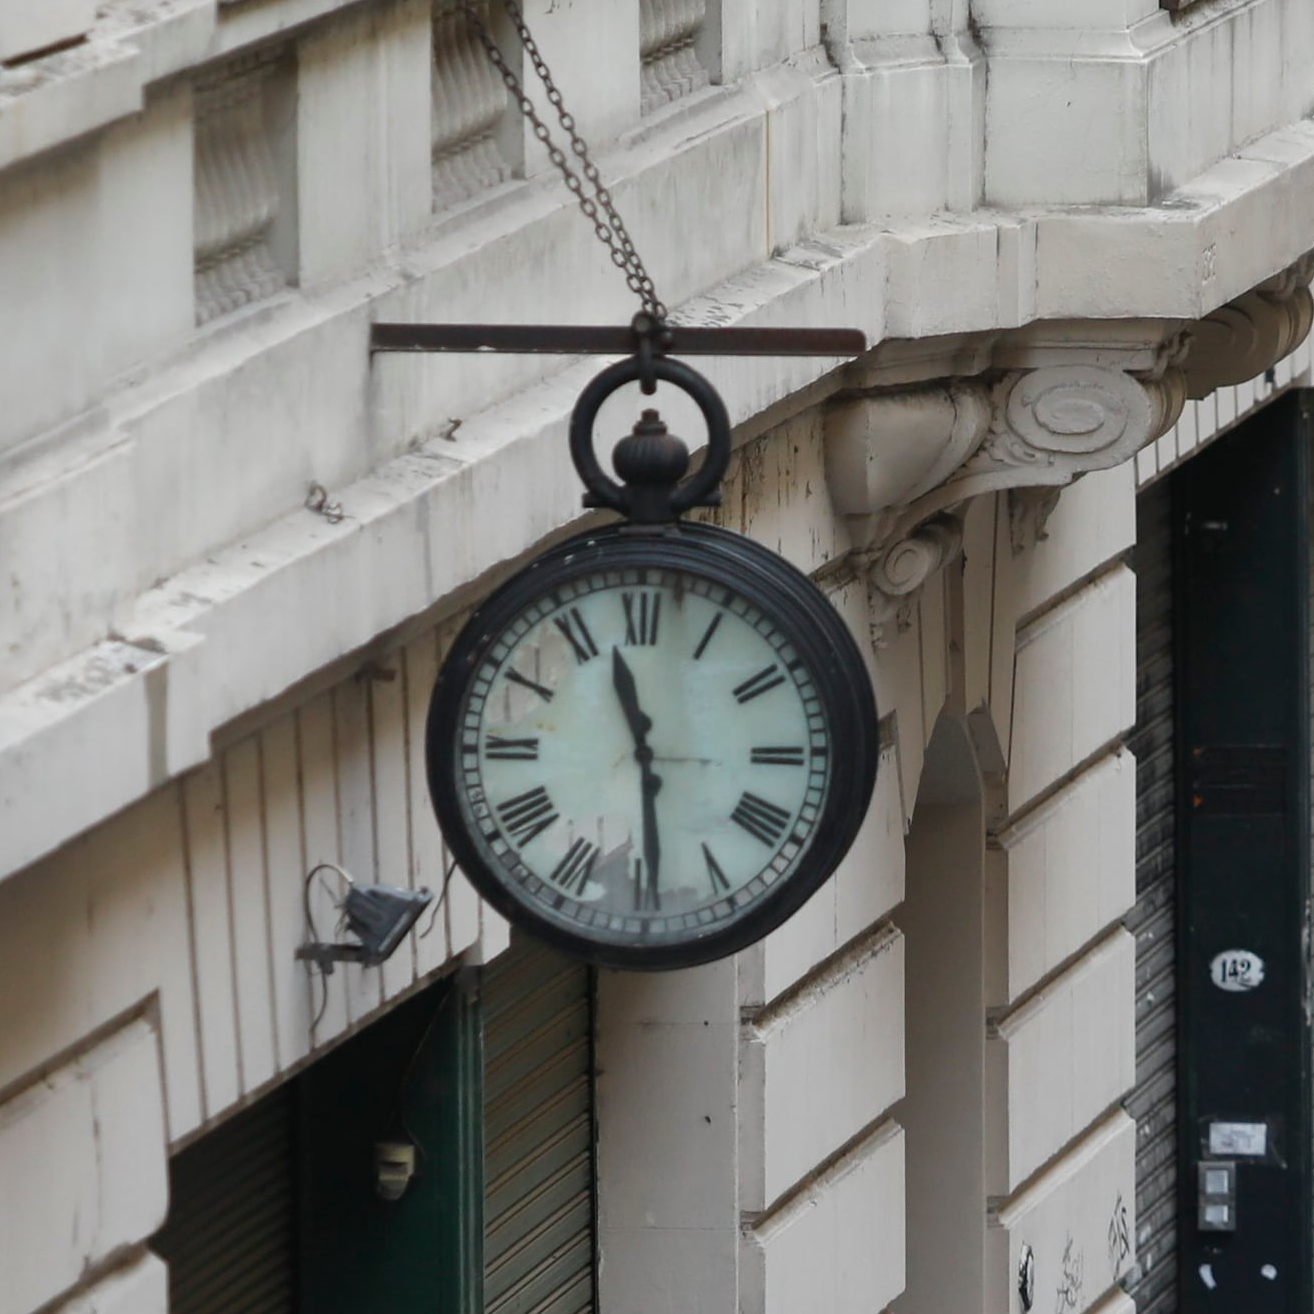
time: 11:29
